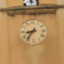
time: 8:36
